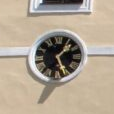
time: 1:26
